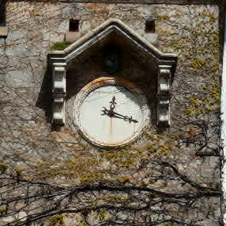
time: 12:18
